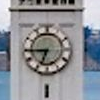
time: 6:44
